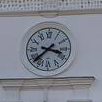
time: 3:38
